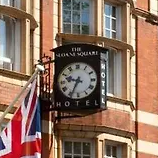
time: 9:34
